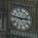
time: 2:46
